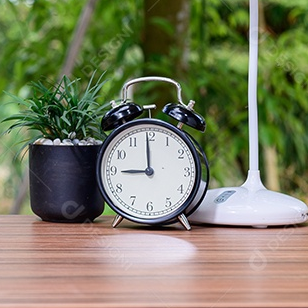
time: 8:59
